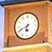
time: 6:40
